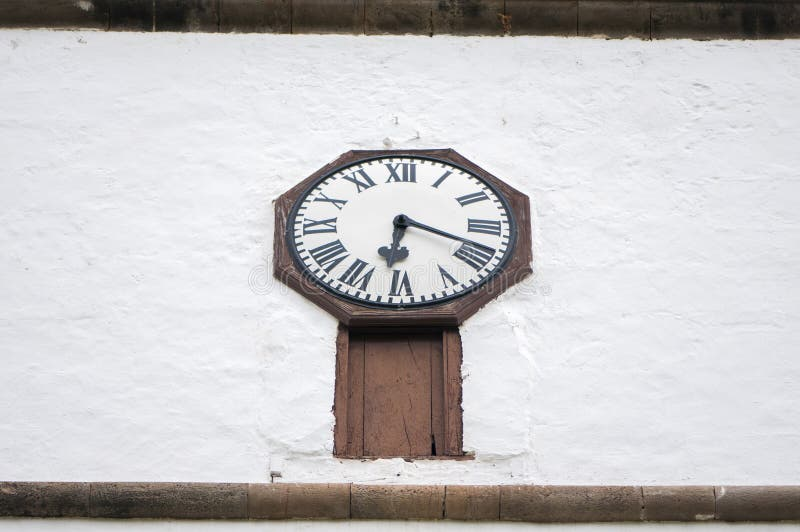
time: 6:18
